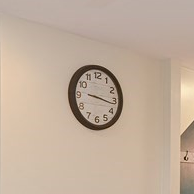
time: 9:16
